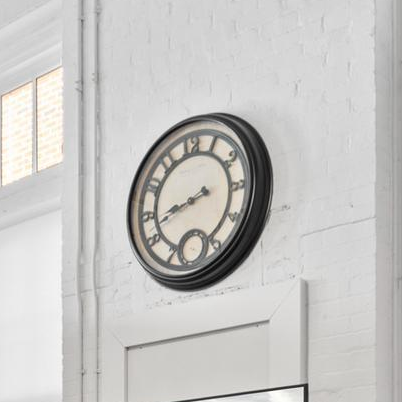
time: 8:43
